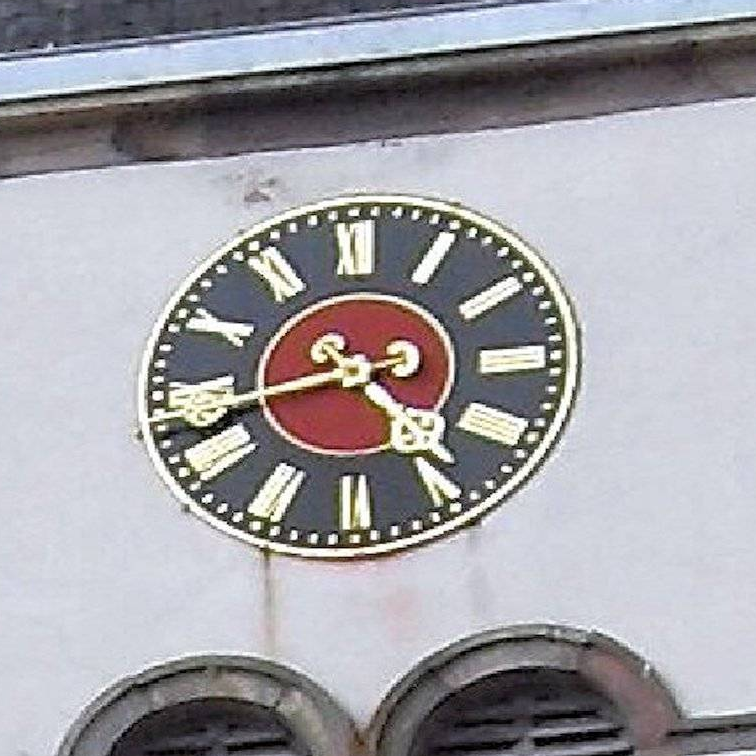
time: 4:42
